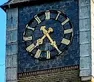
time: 7:24
